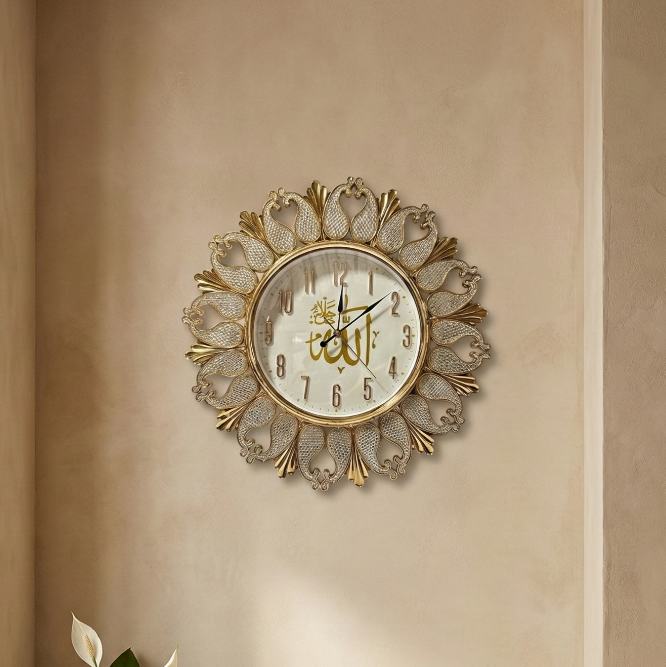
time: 2:01
